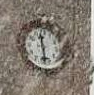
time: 11:28
